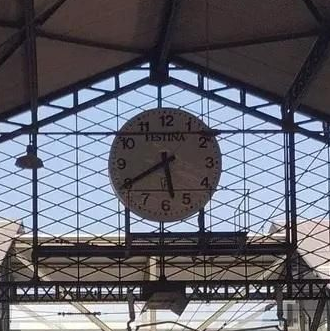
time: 5:40
